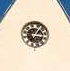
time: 1:16
